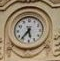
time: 5:36
